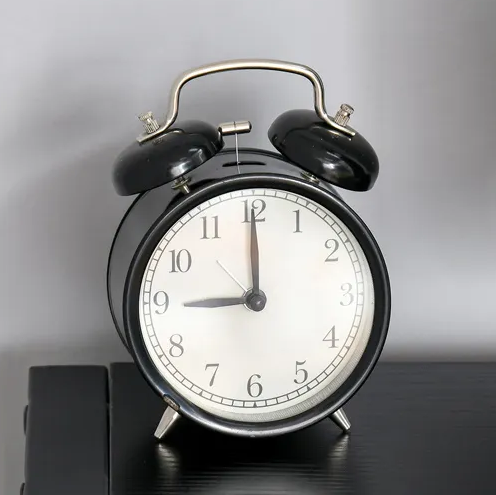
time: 9:00
